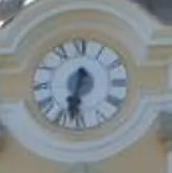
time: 6:32
